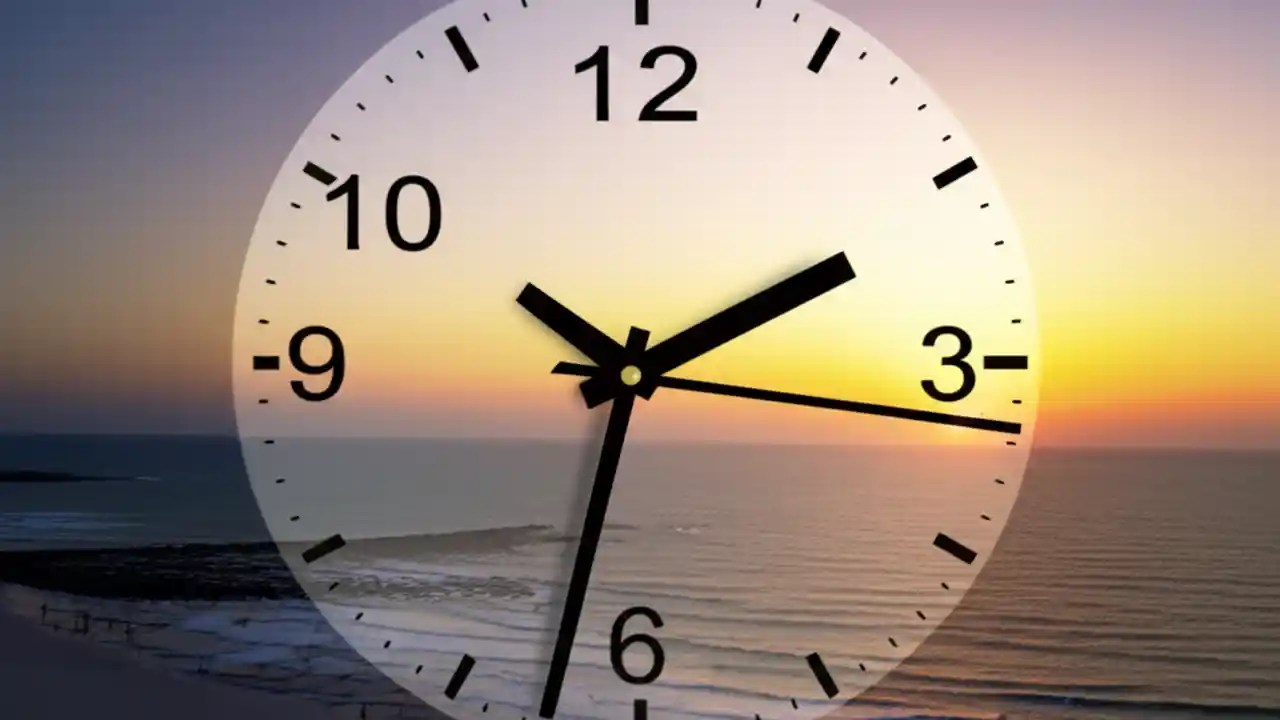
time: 2:16
